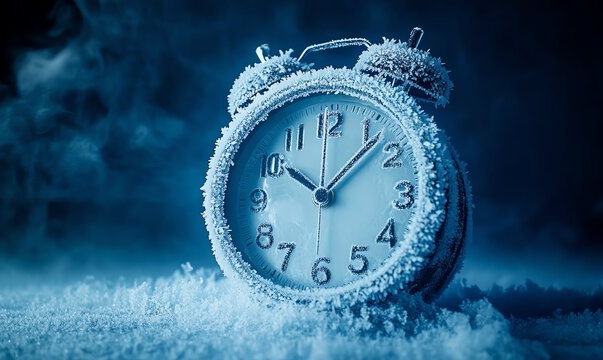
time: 10:07
